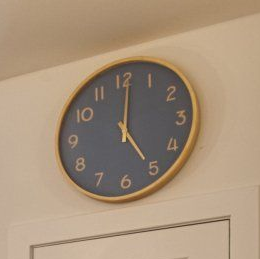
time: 5:01
